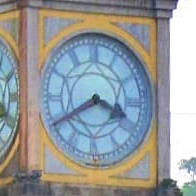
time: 3:40
